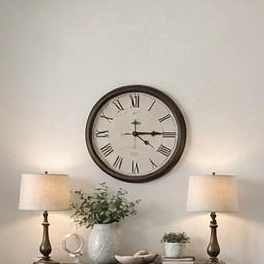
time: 4:14
